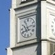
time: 8:12
